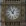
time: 12:53
